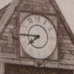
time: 7:45
